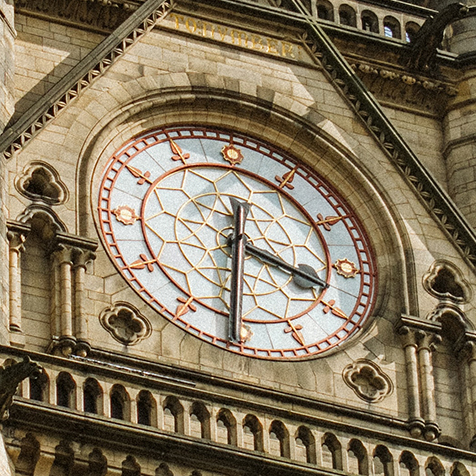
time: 3:31
